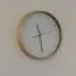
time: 11:28
